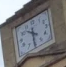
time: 10:30
